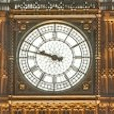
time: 9:47
